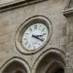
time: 3:21
